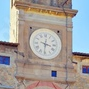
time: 3:31
